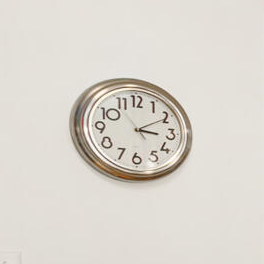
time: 3:09
